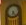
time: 6:23
